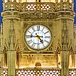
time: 4:45
